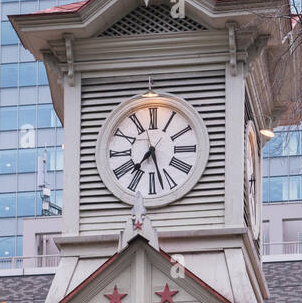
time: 7:27
